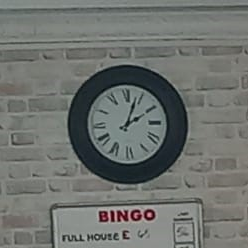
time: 2:03
